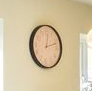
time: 12:11
